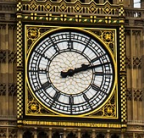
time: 2:11
